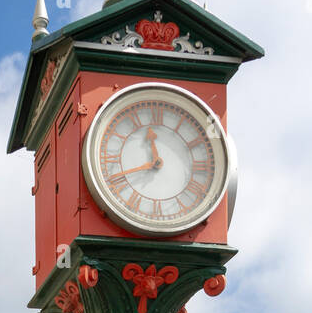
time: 11:41
